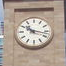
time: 10:17
